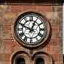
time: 12:49
